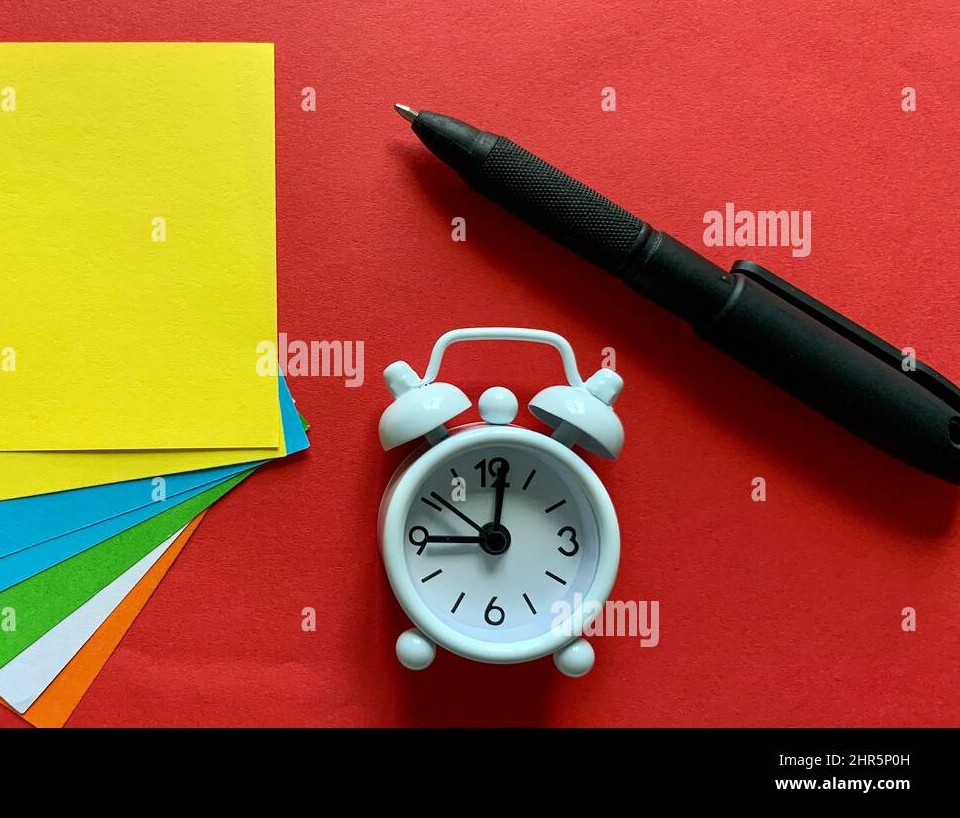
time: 9:01
